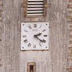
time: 2:21
